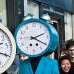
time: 2:20
